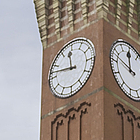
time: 11:47
